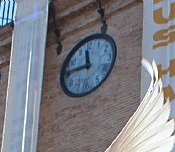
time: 11:46
